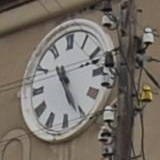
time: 11:26
